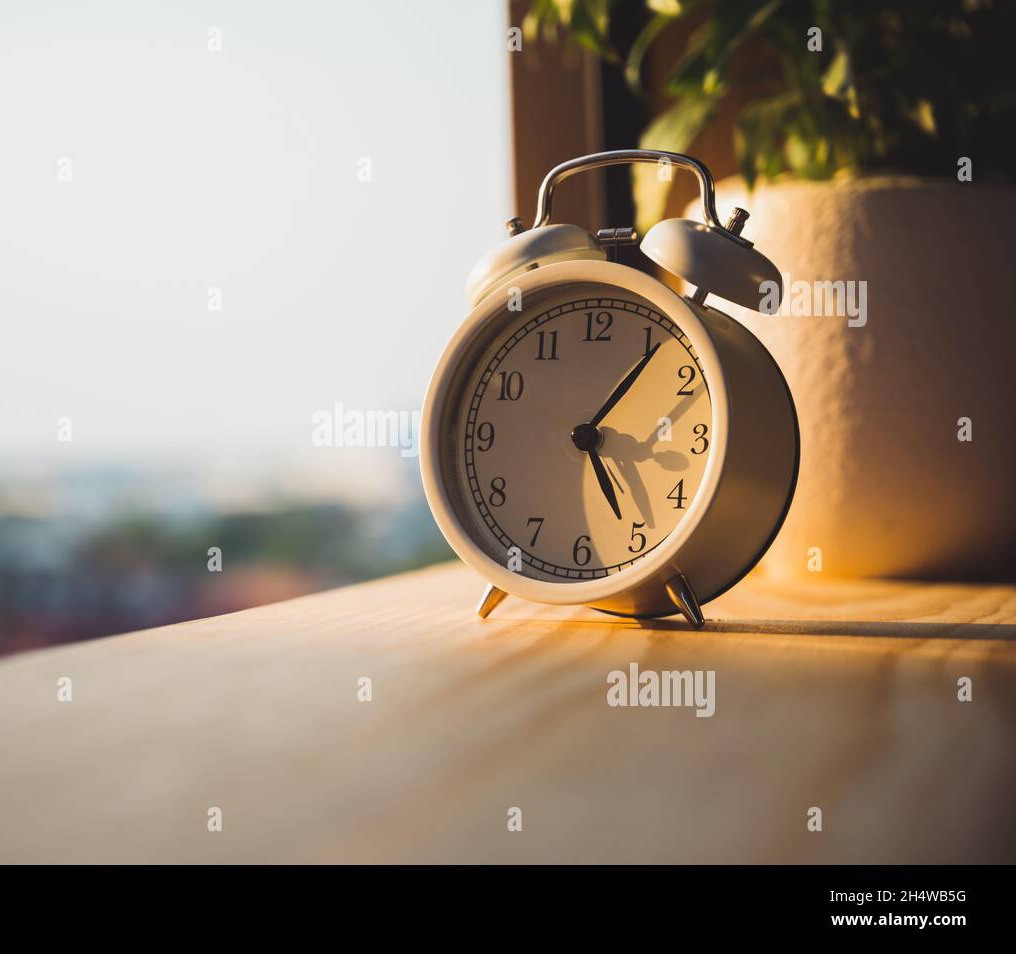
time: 5:06
